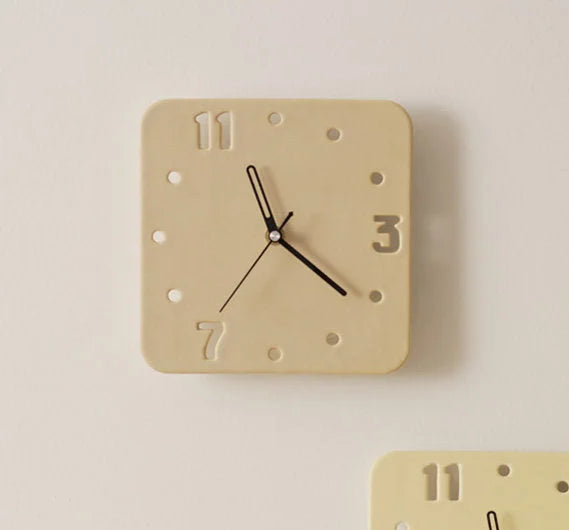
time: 11:21
